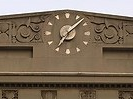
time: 7:07
